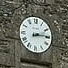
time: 2:13
